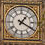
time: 1:20
